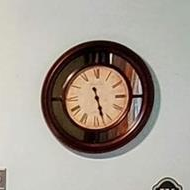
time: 5:27
